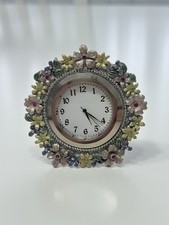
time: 5:21
